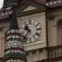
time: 10:36
